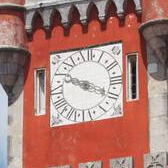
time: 9:18
